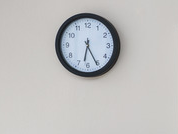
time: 6:25
